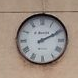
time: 2:10
